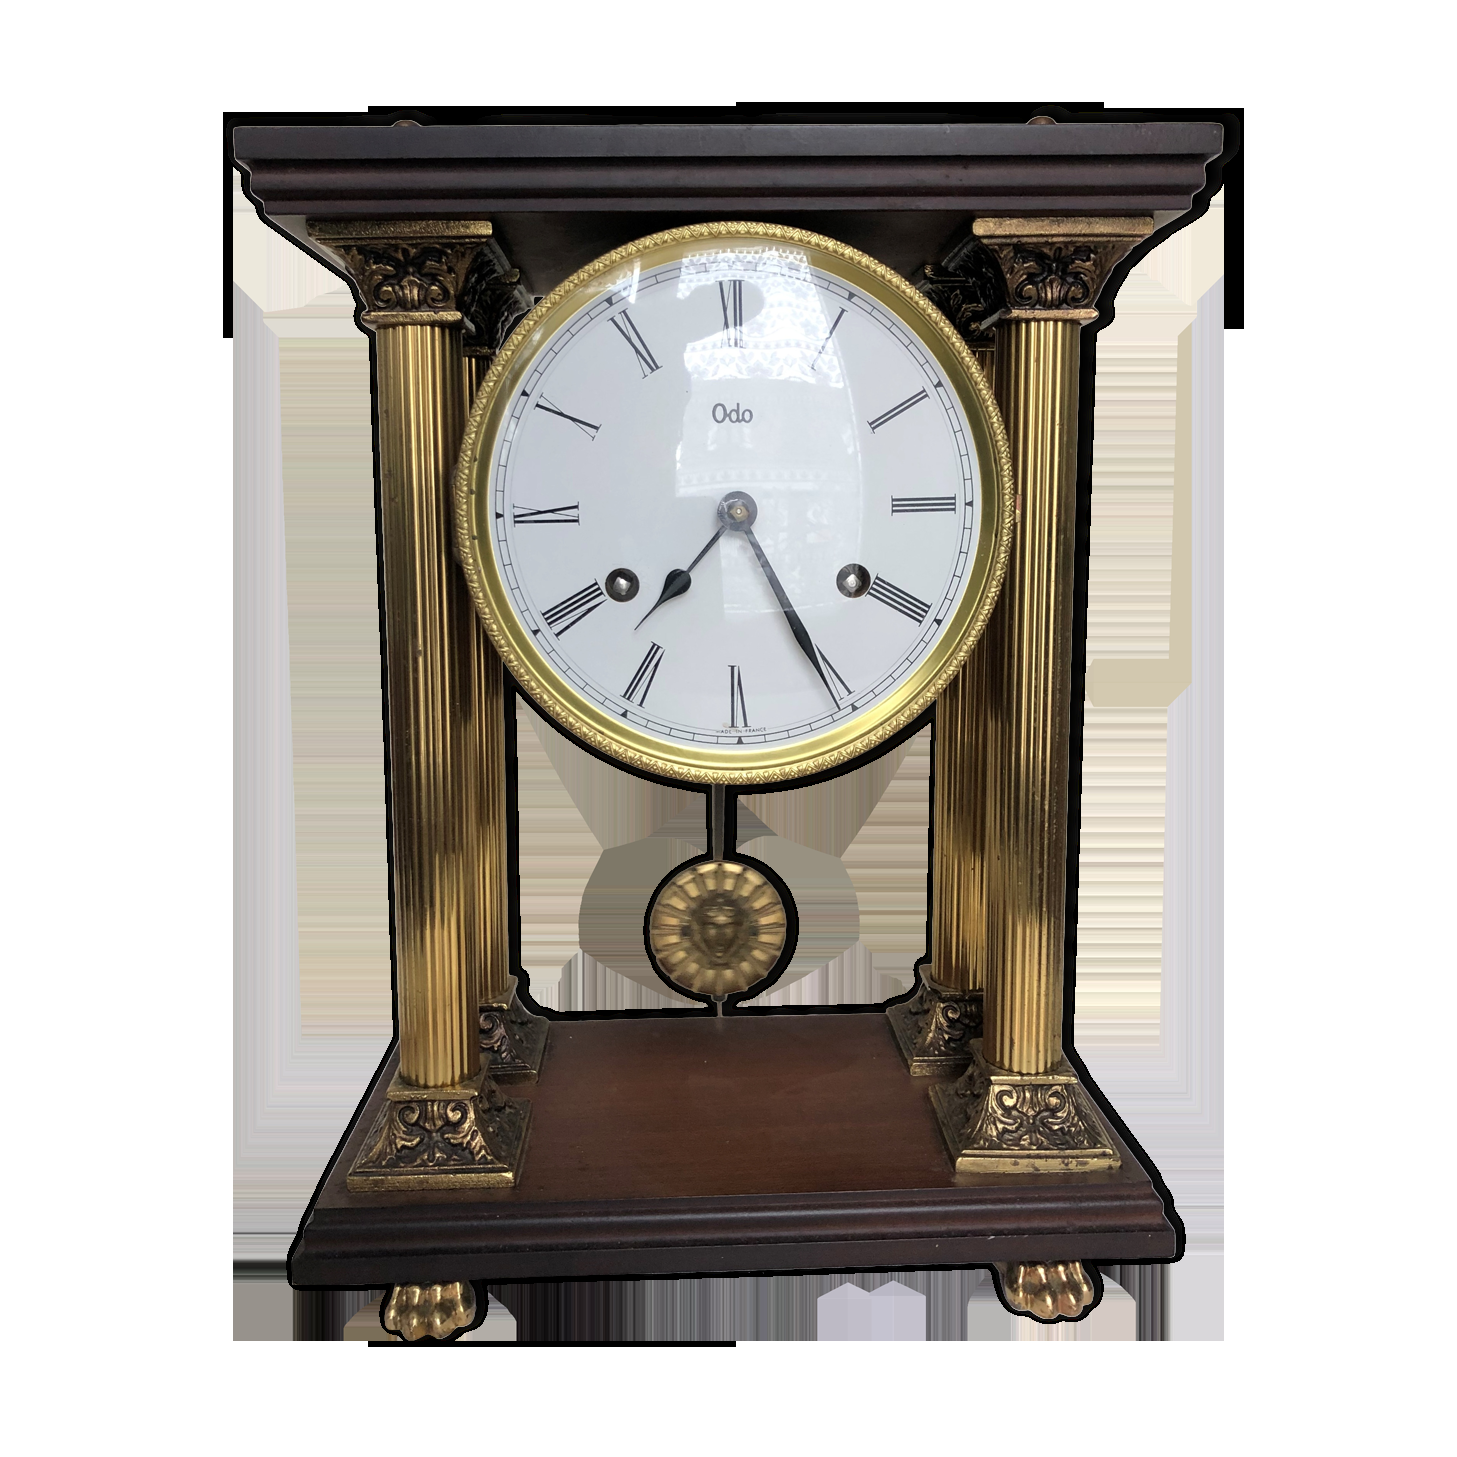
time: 7:24
